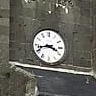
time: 3:42
